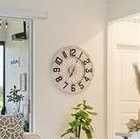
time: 7:04
